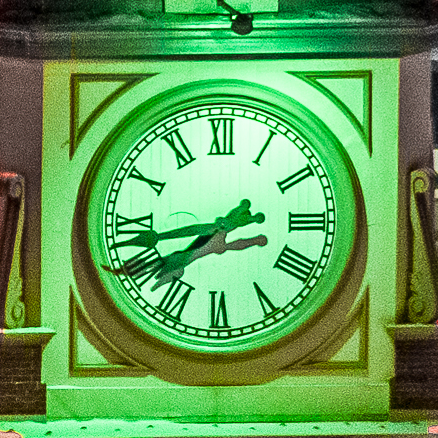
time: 7:42
